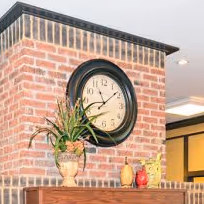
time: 11:08
